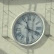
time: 11:18
